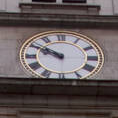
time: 9:50
